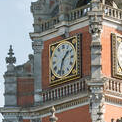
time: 1:33
